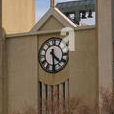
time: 4:29
